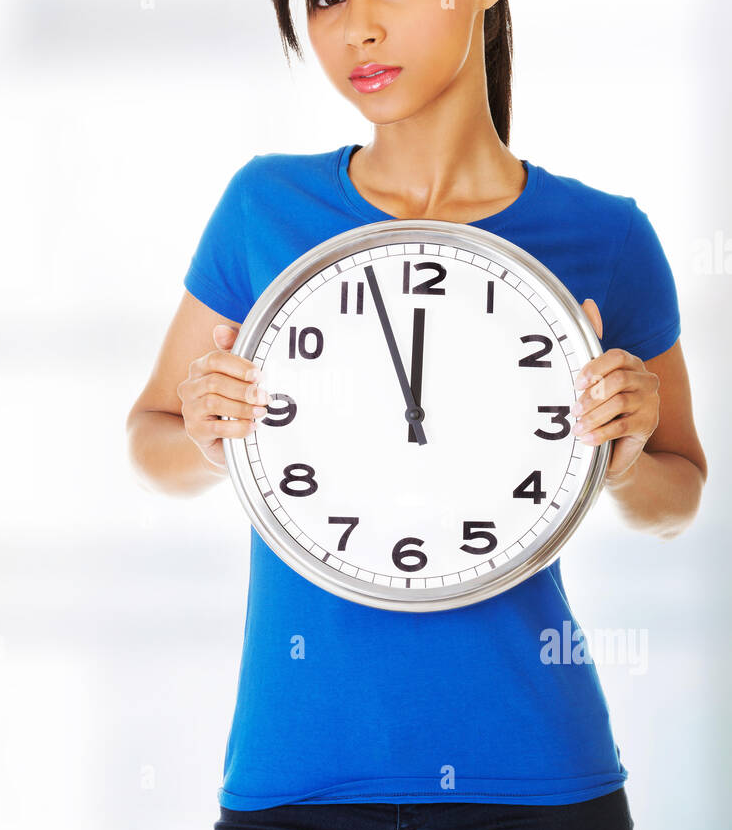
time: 11:56
